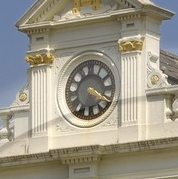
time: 4:20
